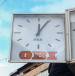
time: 12:04
